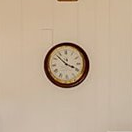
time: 3:52
